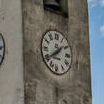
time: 1:39
